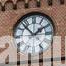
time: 1:52
